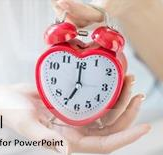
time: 7:00
